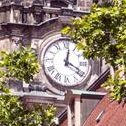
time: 12:19
